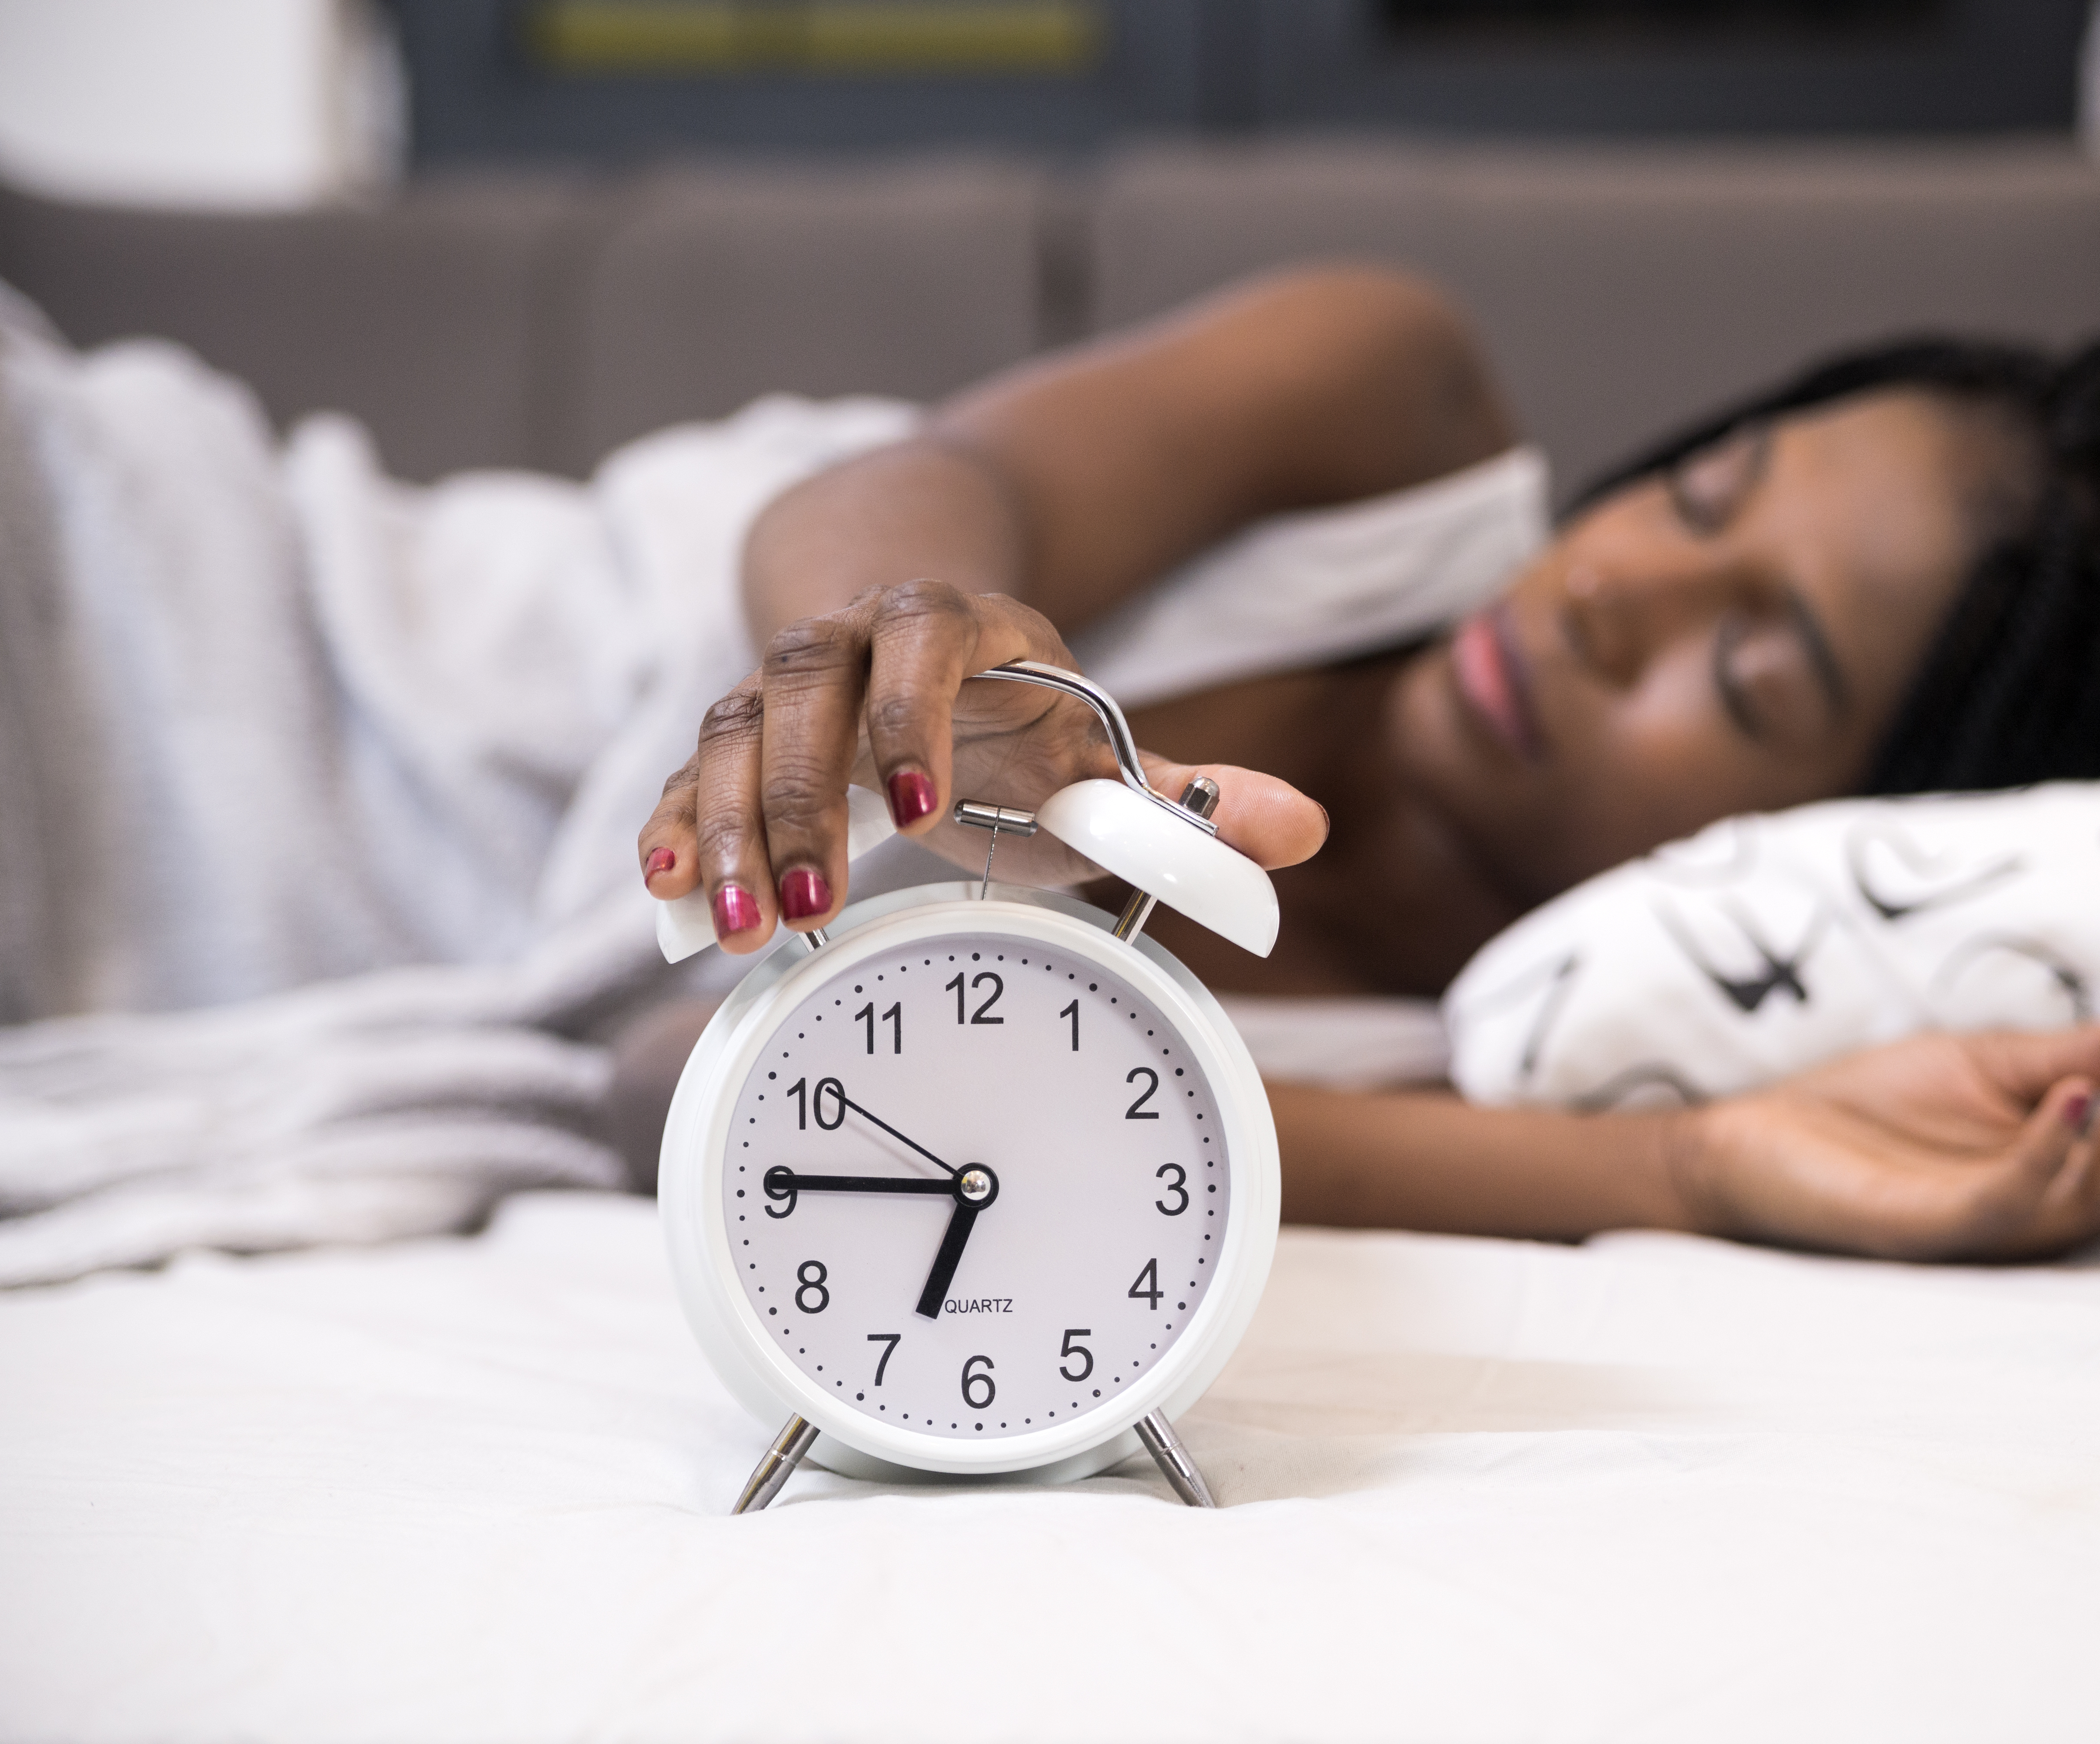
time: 6:45
